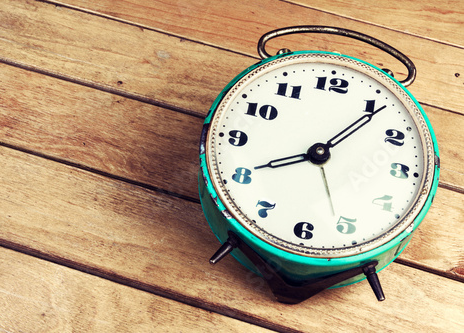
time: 8:06
